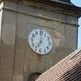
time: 7:00
